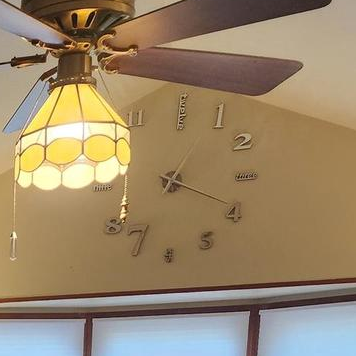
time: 1:19
